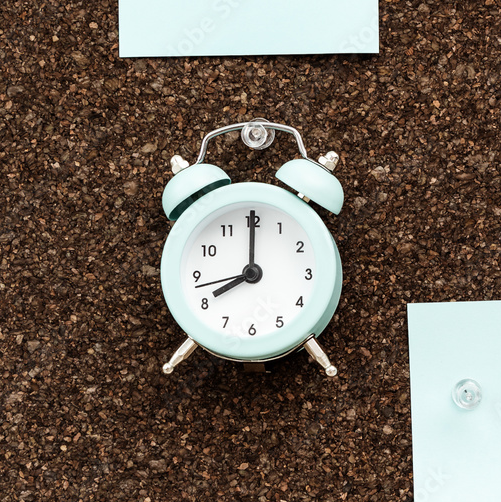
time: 8:00
